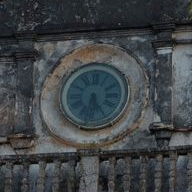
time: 5:31
